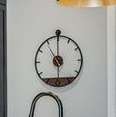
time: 5:59
